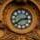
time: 2:38
